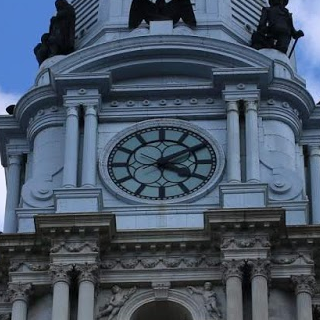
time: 4:09
